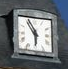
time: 5:54
